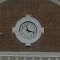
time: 11:17
